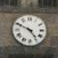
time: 4:49
